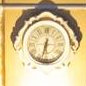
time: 6:32
